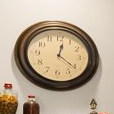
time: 12:21
